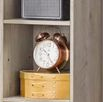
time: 10:25
